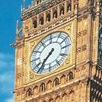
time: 7:37
